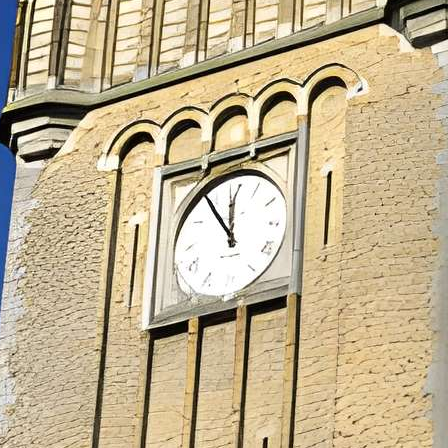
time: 11:54
